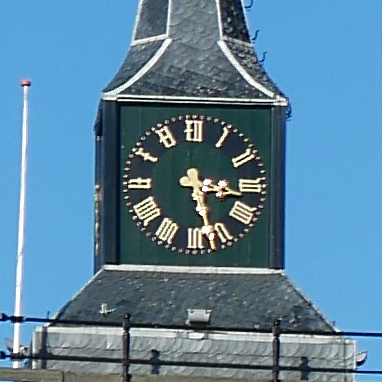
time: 3:27
